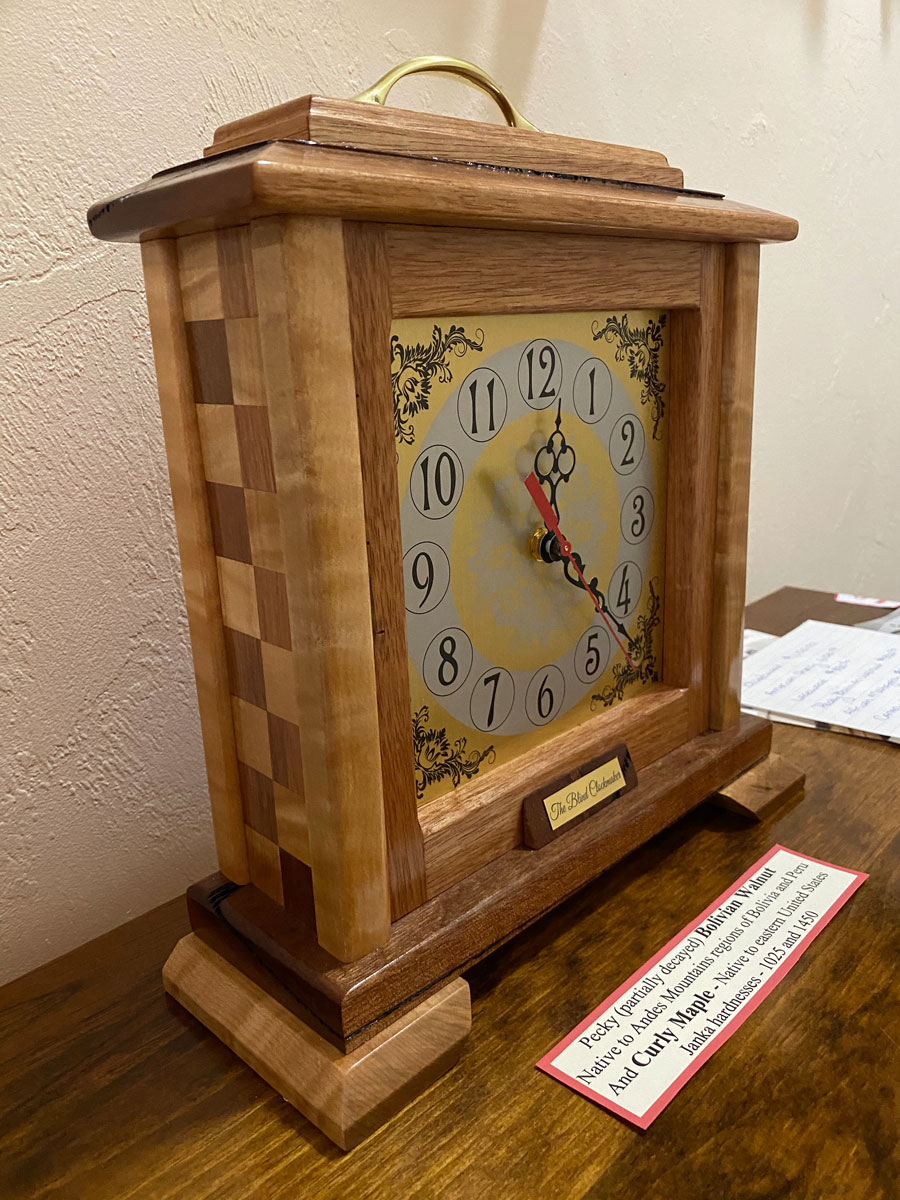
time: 12:20
